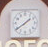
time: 1:39
